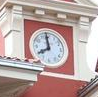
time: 7:58
